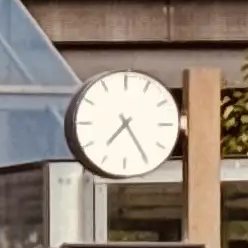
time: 7:24
